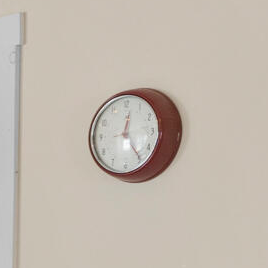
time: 12:24
